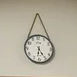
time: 6:24
